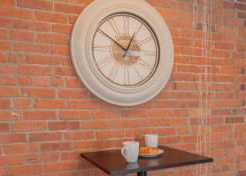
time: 12:50
